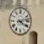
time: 4:12
